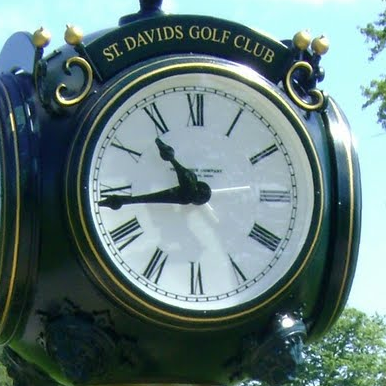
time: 10:43
